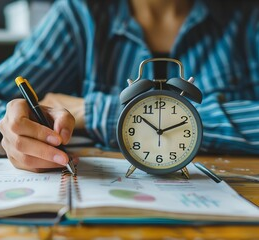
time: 10:11
